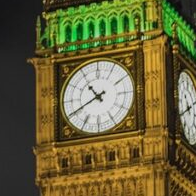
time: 10:40
